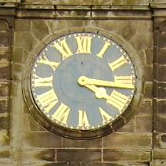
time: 4:16
